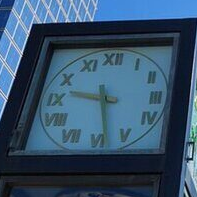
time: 9:28
